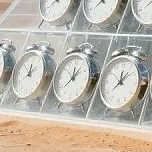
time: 12:07
